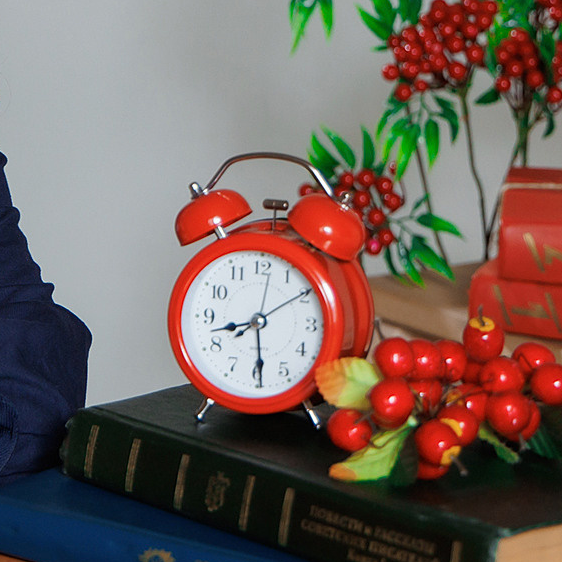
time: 8:29
